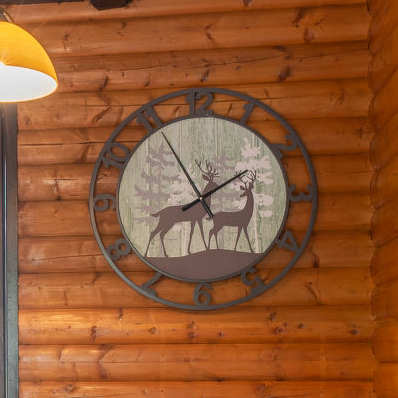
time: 1:55
